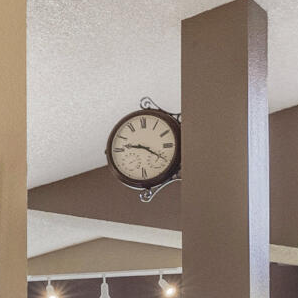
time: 9:20
